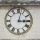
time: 3:02
